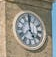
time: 4:59
